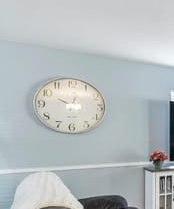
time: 10:02
